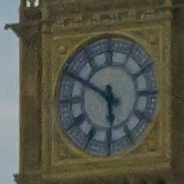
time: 5:50
